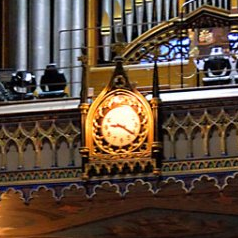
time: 9:20
